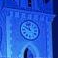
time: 9:57
